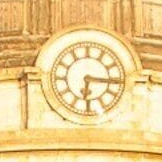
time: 6:16
